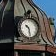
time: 10:28
